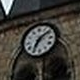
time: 7:09
